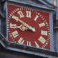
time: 8:49
